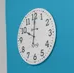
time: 10:00
